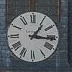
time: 1:16
